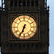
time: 6:34
